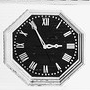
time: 2:55
